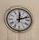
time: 12:11
